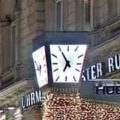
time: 6:54
